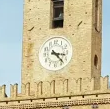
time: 3:23
